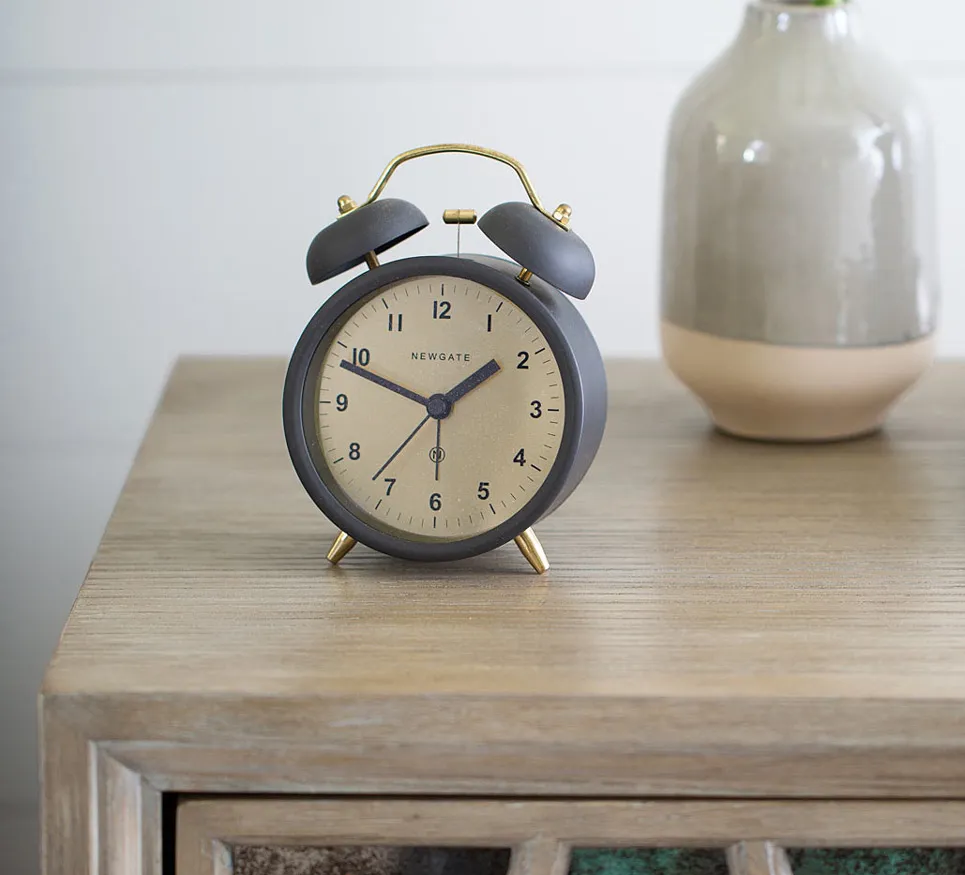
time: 1:48
